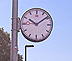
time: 10:08
